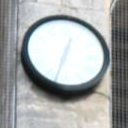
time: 12:32
